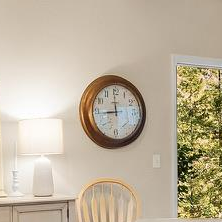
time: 8:59
